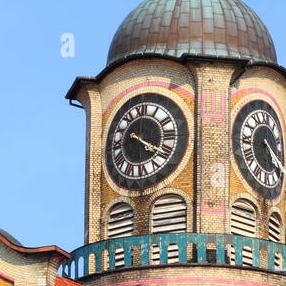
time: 4:20
